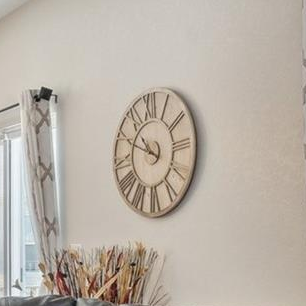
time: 10:49
